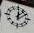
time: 12:07
